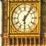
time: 6:06
